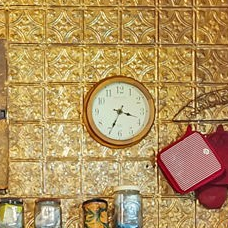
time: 3:34
